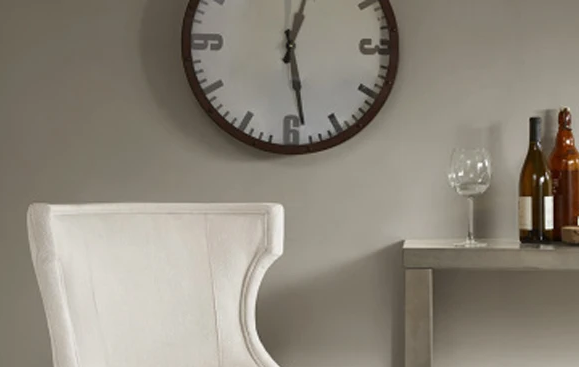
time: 12:28
